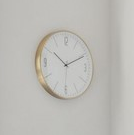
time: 10:10
